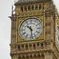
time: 10:28
